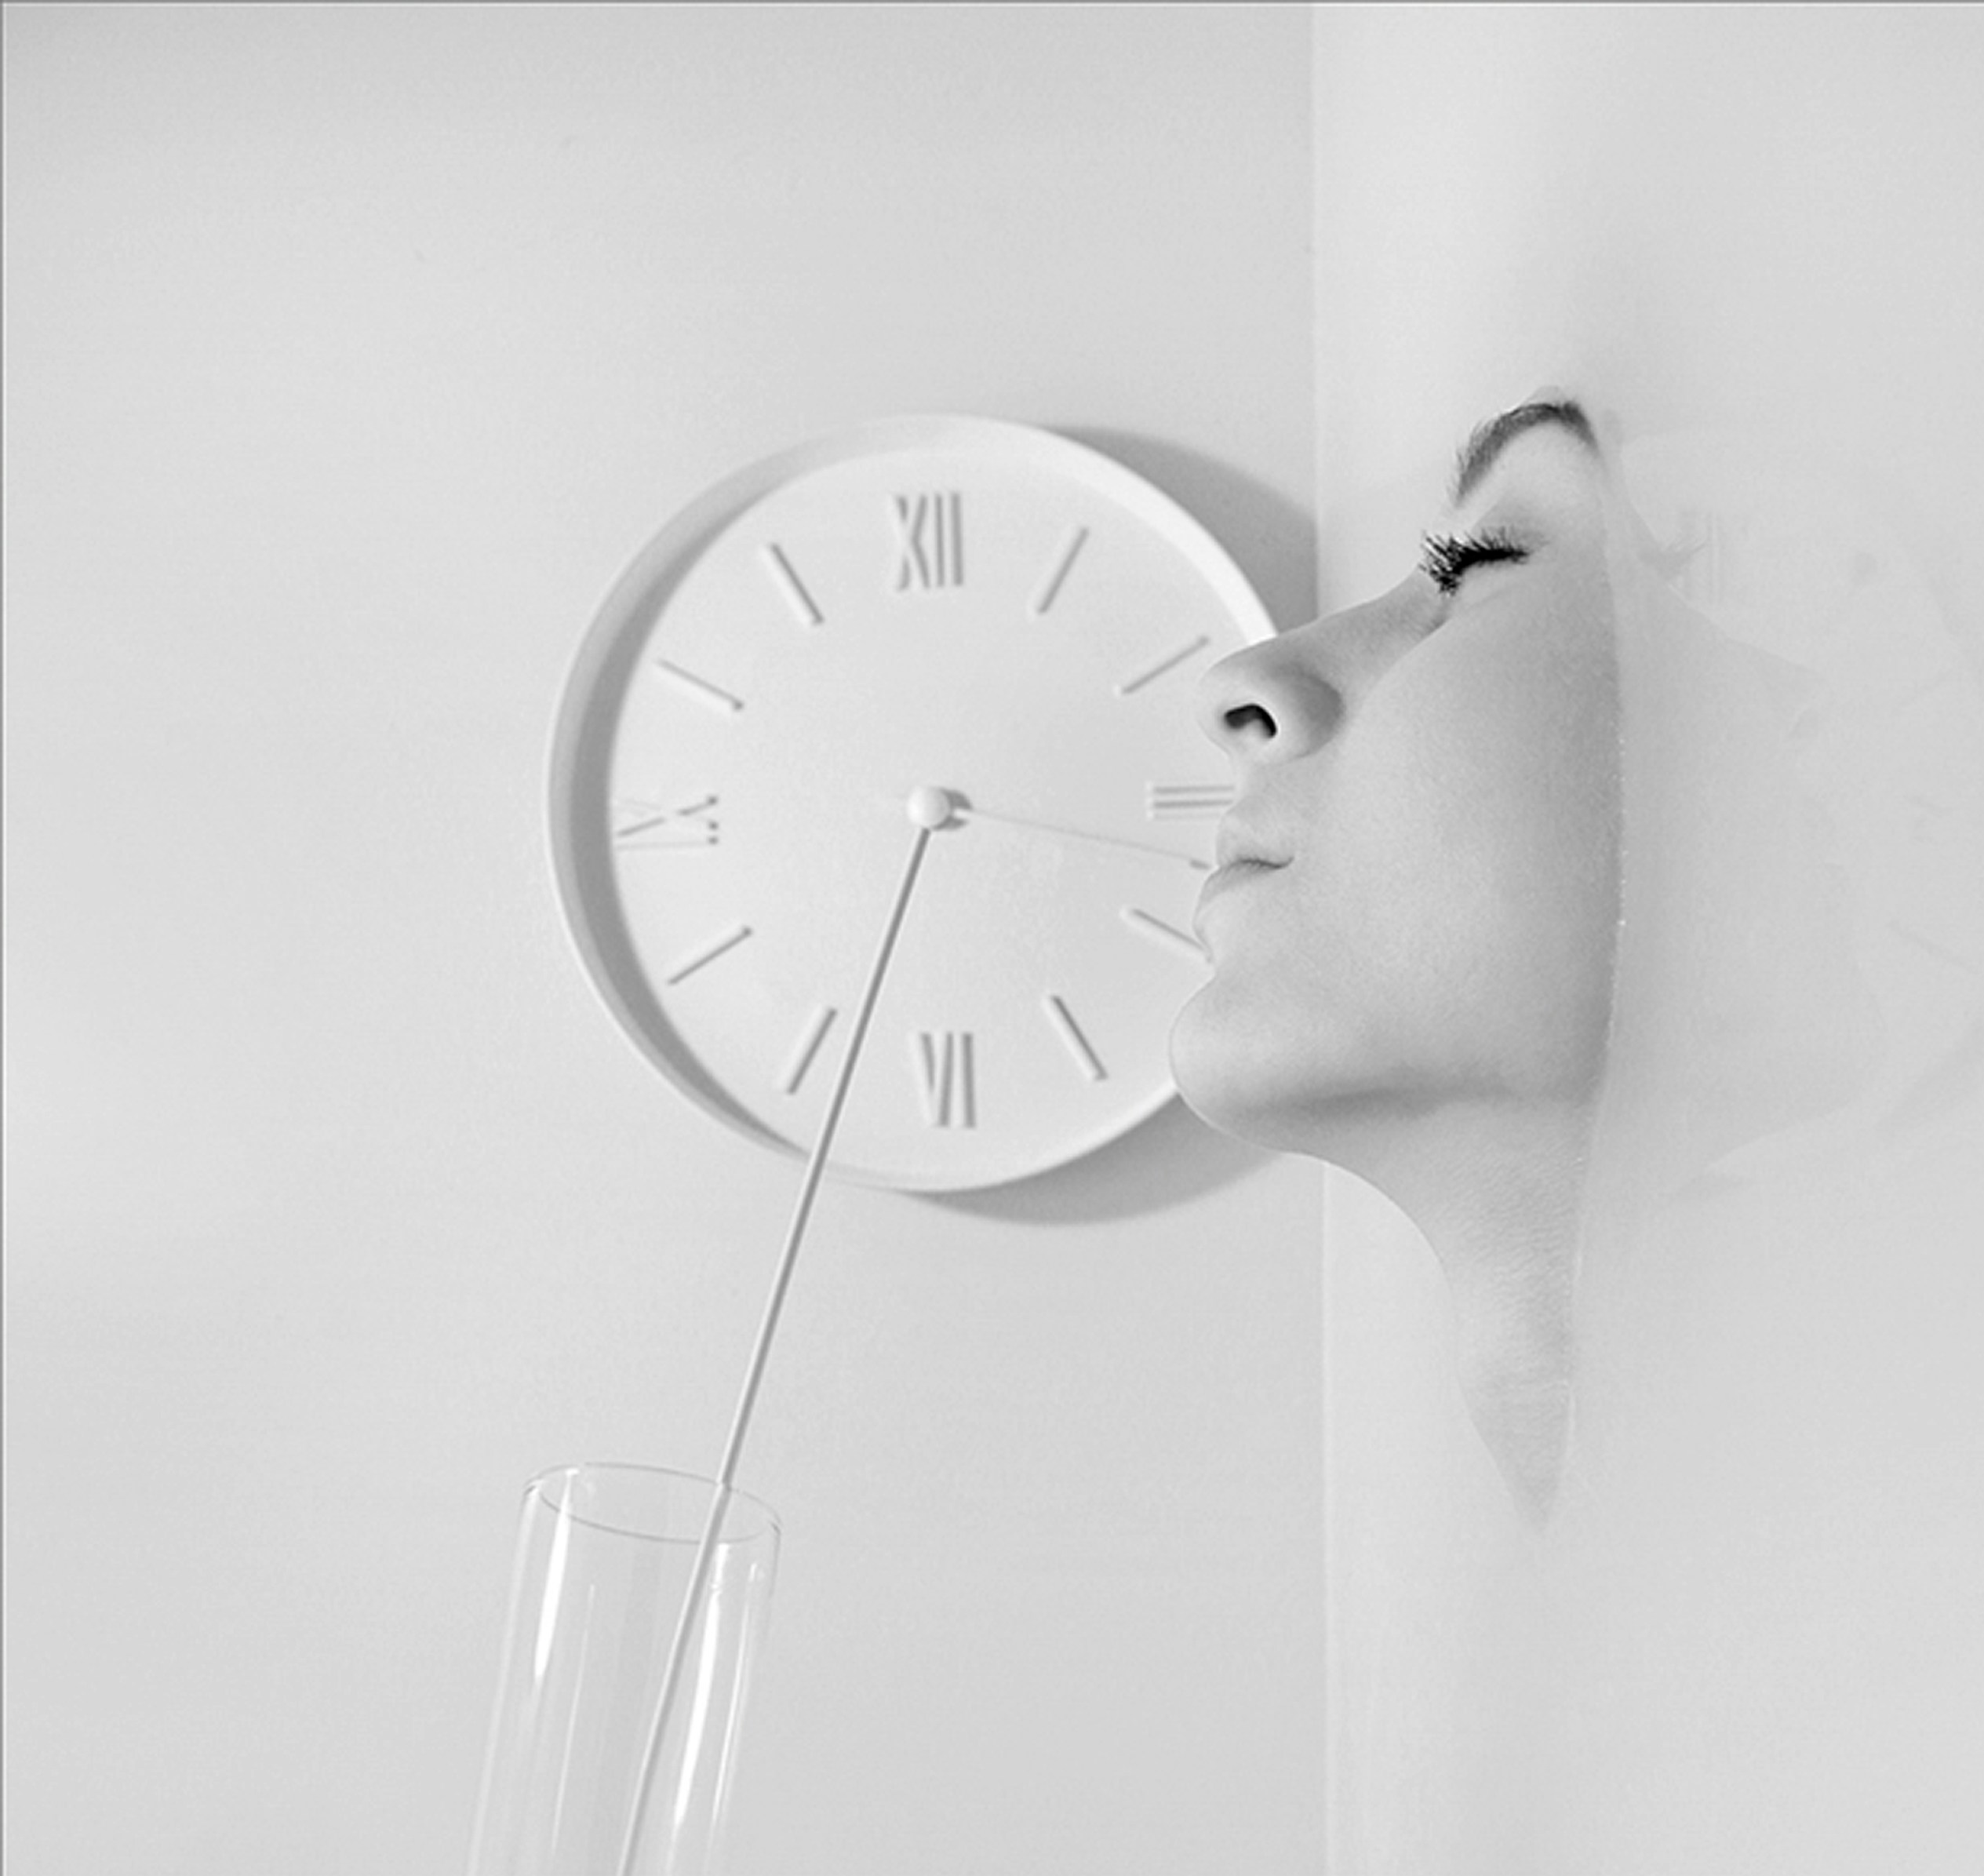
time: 3:33
